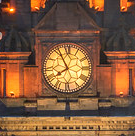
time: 7:55
